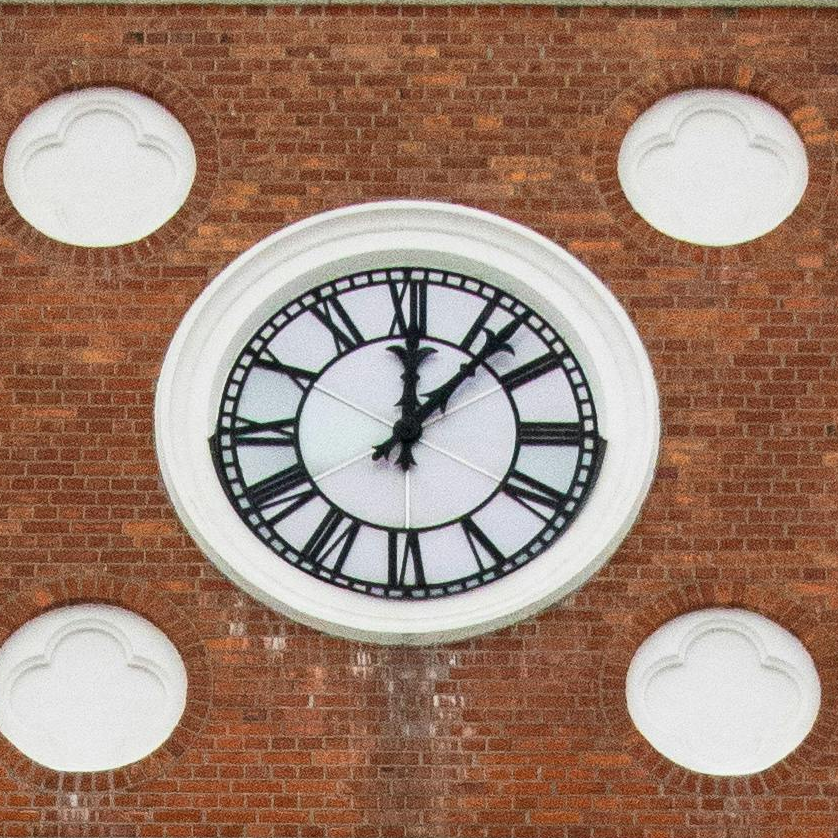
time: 12:07
